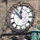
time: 11:52
